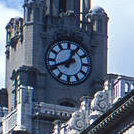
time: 12:41
